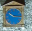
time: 10:15
